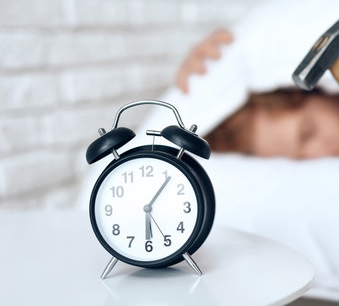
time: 6:06
